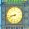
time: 8:42
